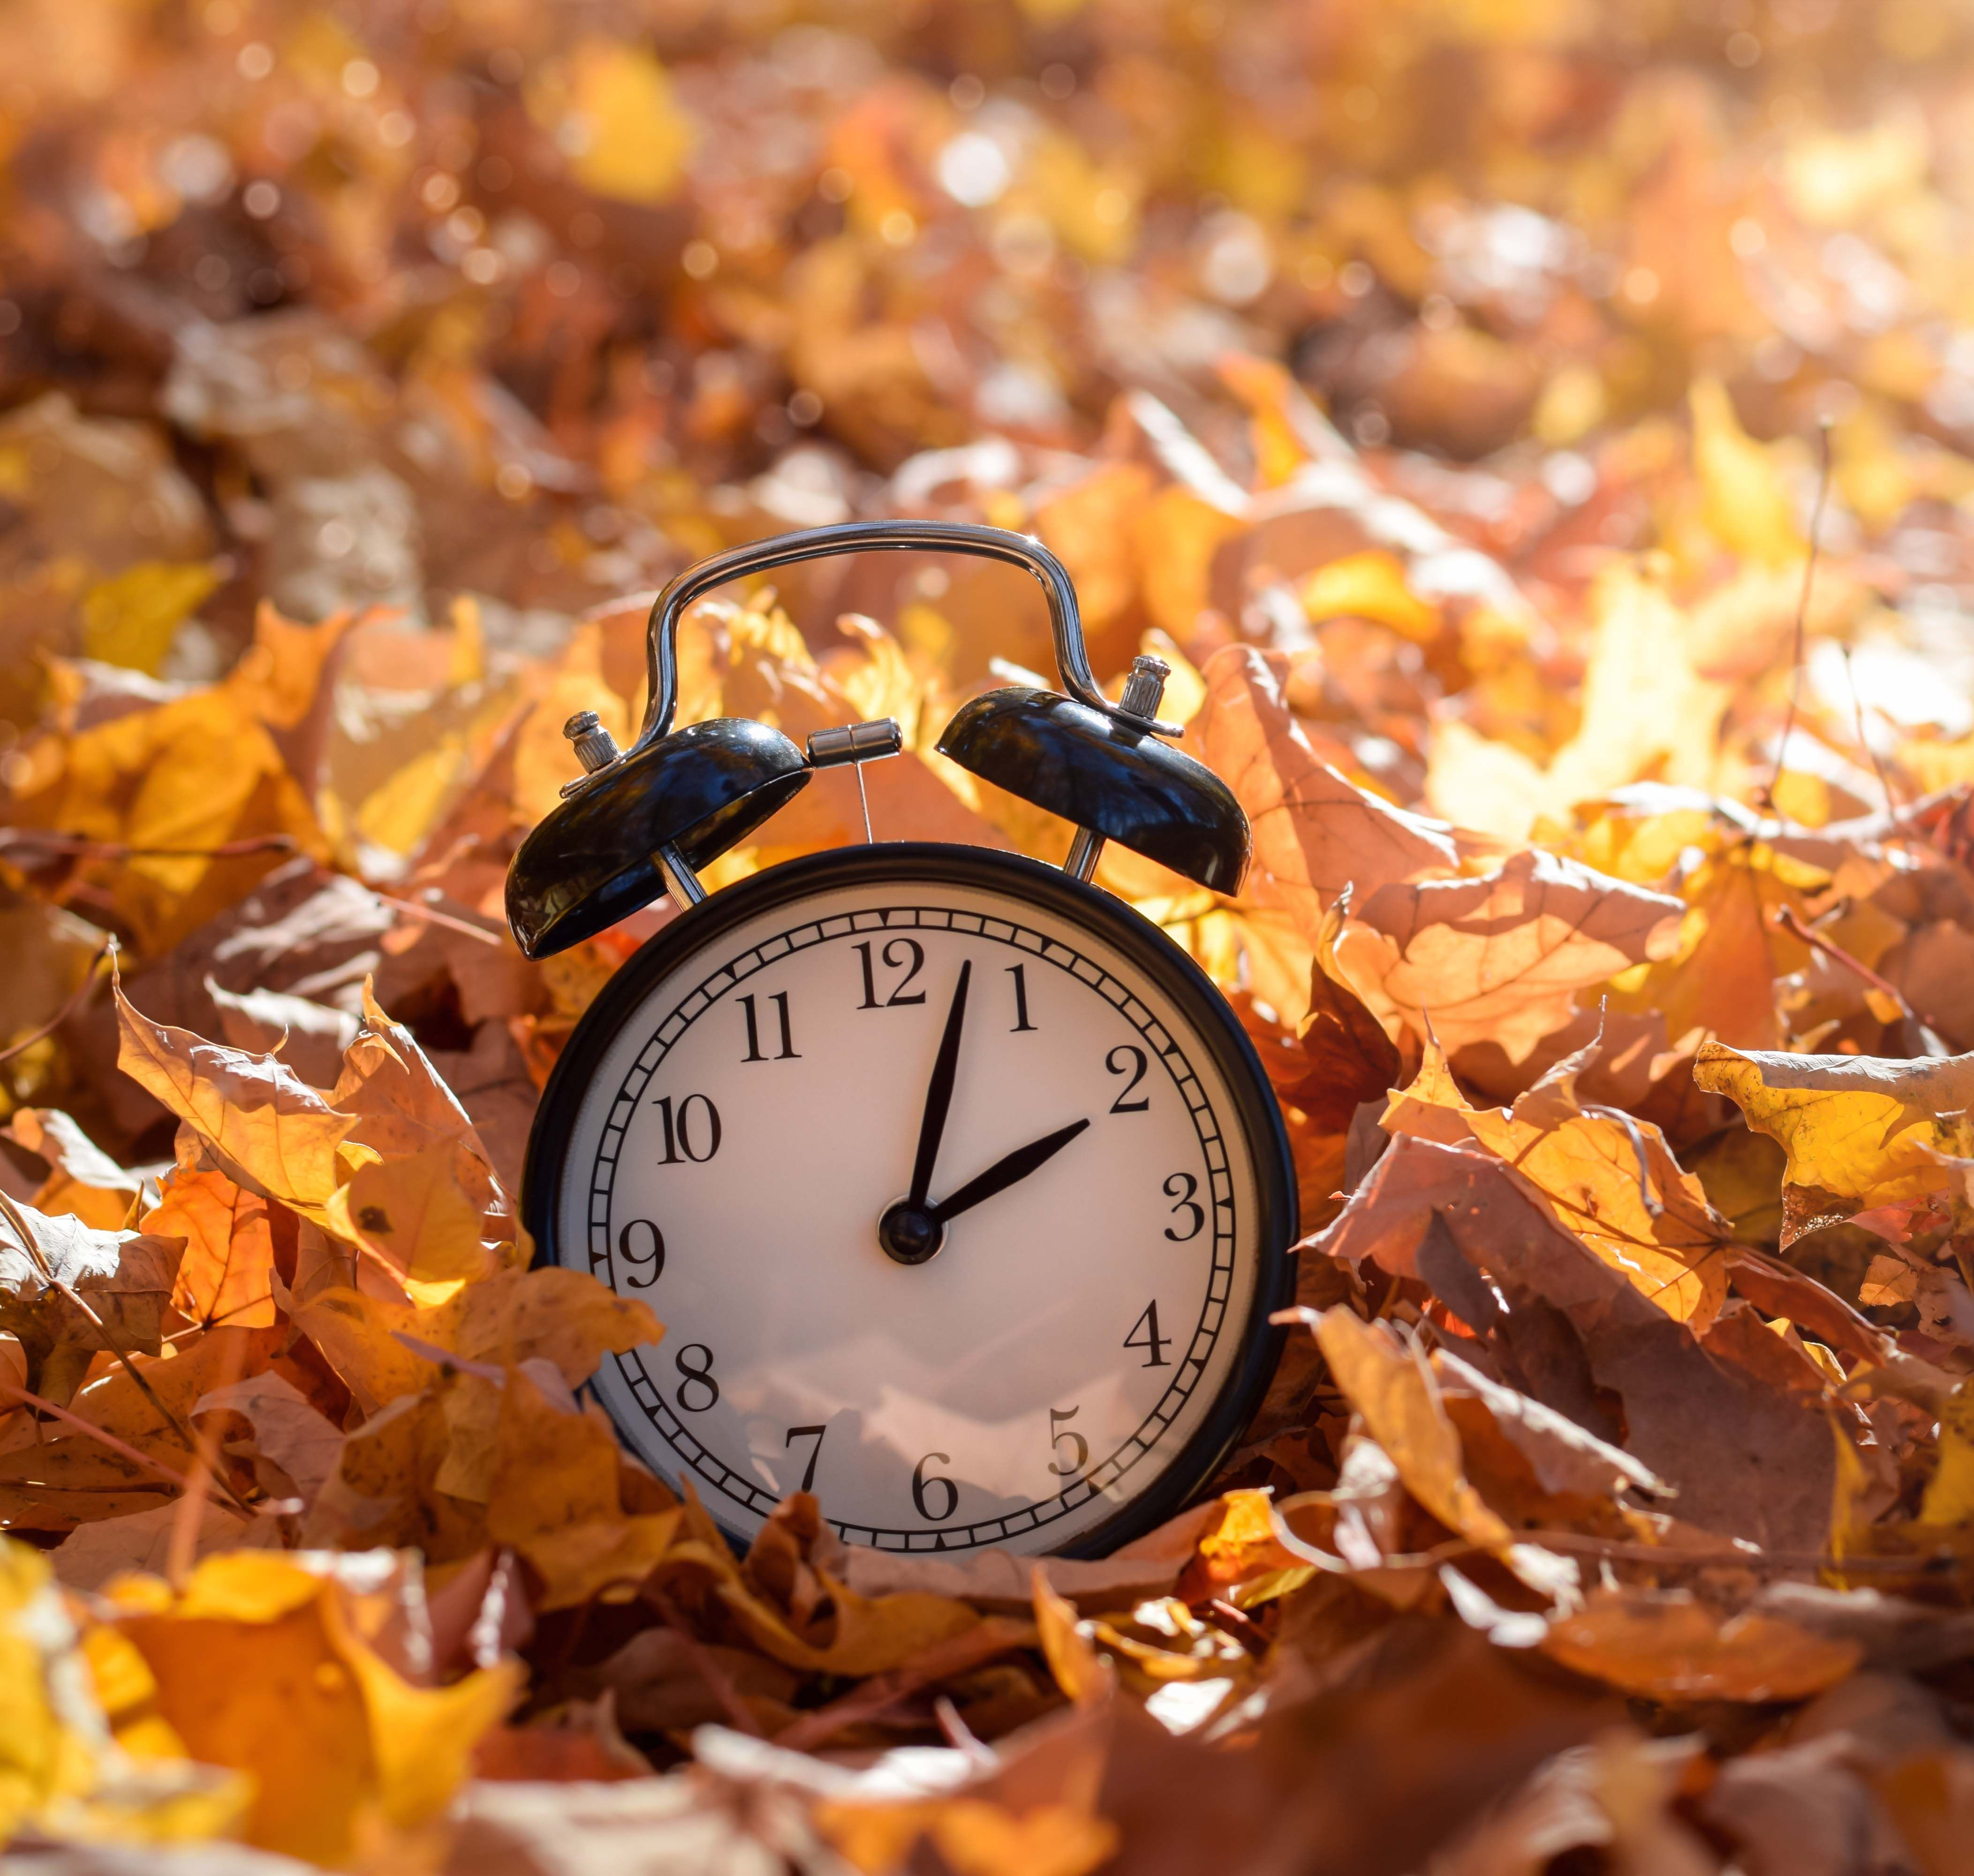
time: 2:02
